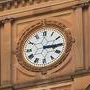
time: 3:14
